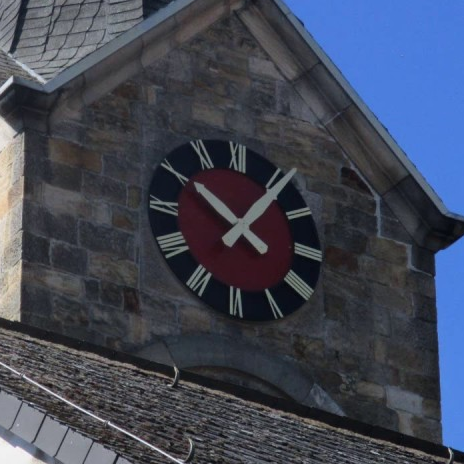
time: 10:06
